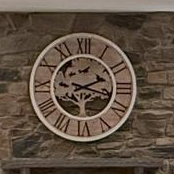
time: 2:18
